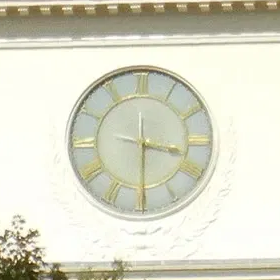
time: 3:29
